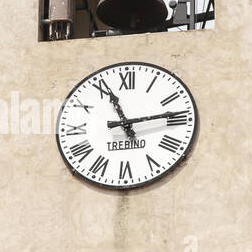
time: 11:13
